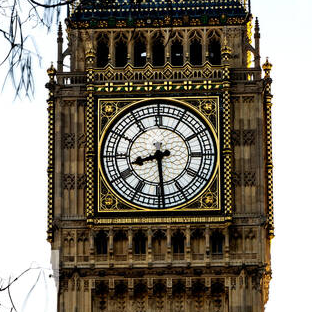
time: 8:29
